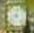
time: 9:01
